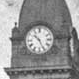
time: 10:26
